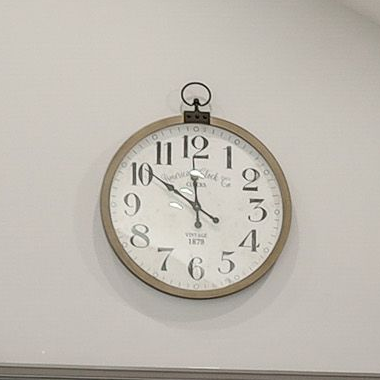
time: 11:50
